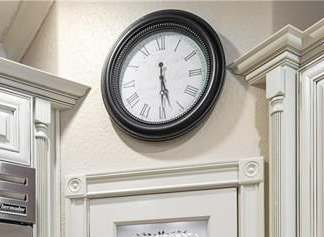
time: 5:29
